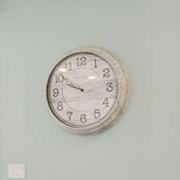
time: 9:50
